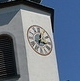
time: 12:16
